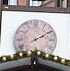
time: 2:09
